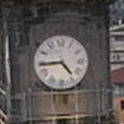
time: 4:44
